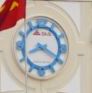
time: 8:19
